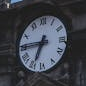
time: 6:45
